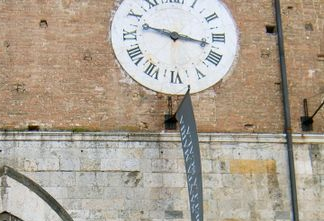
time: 9:17
